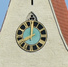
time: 7:59
